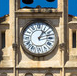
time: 1:12
